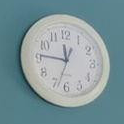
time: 11:45
